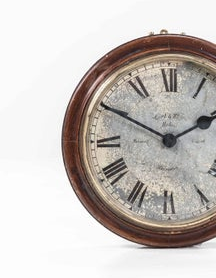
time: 1:49
